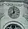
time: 11:37
